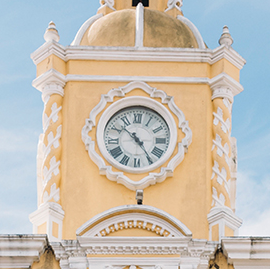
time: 10:24
